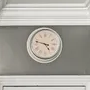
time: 4:47
